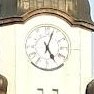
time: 5:03
